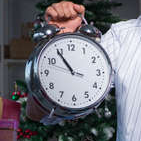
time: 10:54
